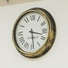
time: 3:28
